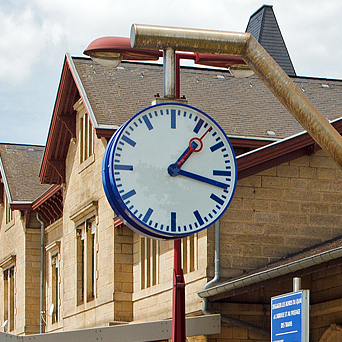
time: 1:17
